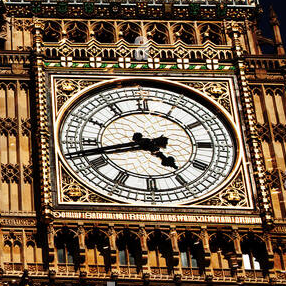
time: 4:42
